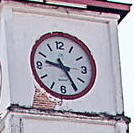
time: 9:24
